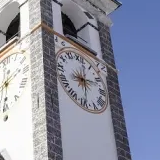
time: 8:12
